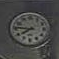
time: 7:46
